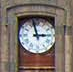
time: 2:58
